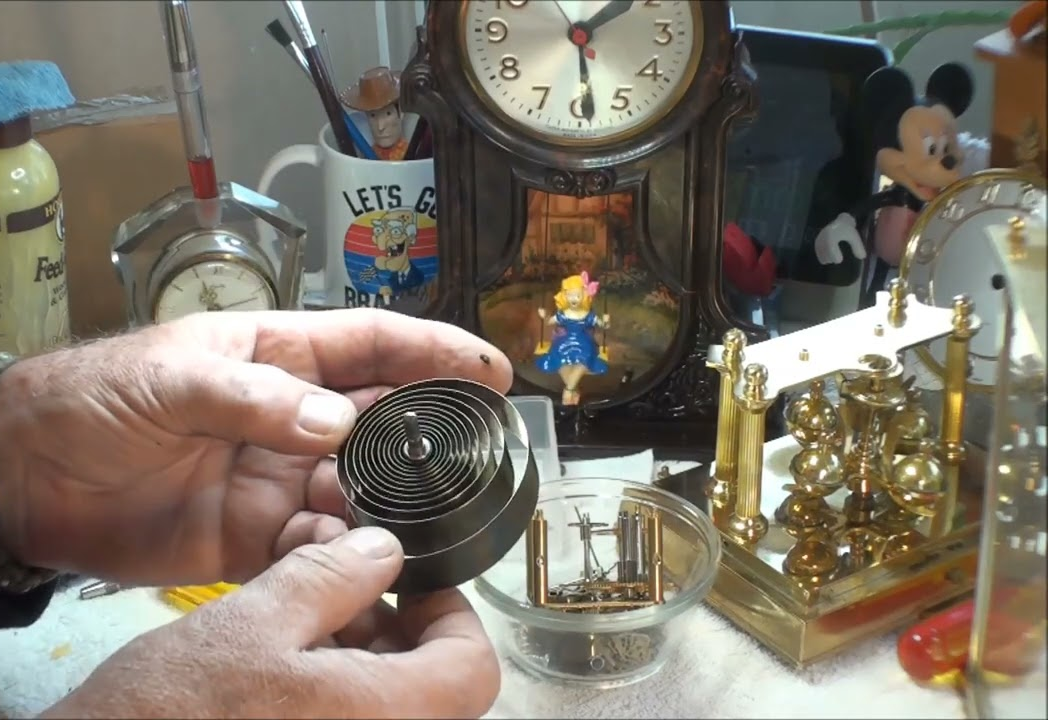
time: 1:28
